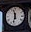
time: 11:32
